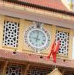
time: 9:01
